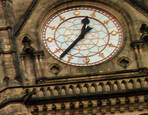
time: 12:37
